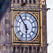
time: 5:54
